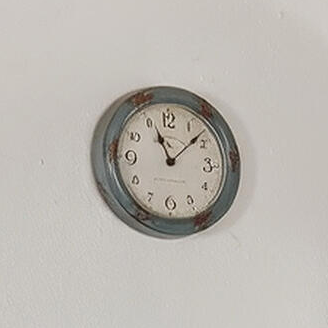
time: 11:08
